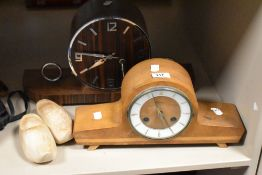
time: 7:46
